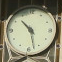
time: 10:27
